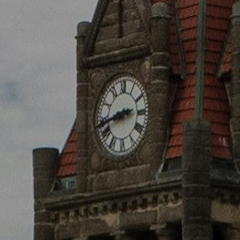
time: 2:43
